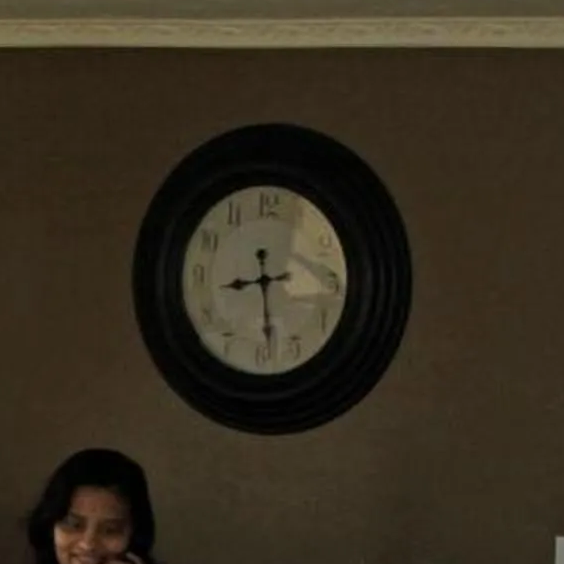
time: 8:28
